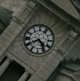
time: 4:40
